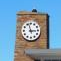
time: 2:57
